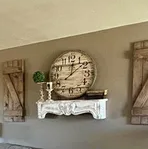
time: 12:08
